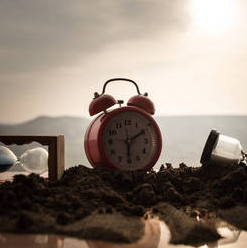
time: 6:10
